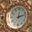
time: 12:12
